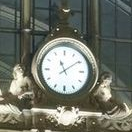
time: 11:09
